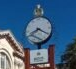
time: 8:20
